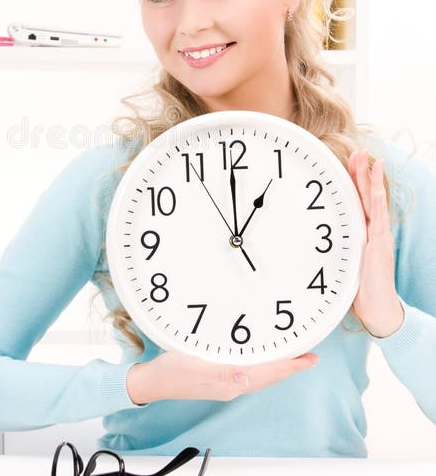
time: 12:59
